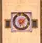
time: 7:07
